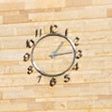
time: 1:13
